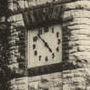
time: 4:53
